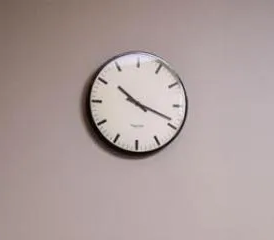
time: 10:18
